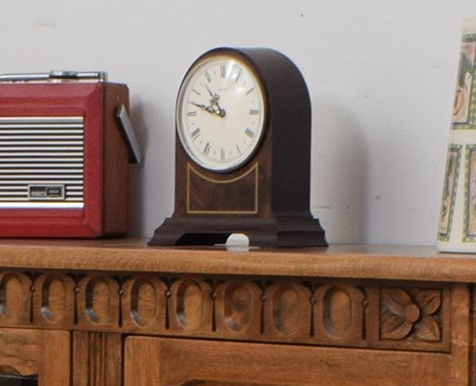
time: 10:47
